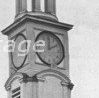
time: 2:00
